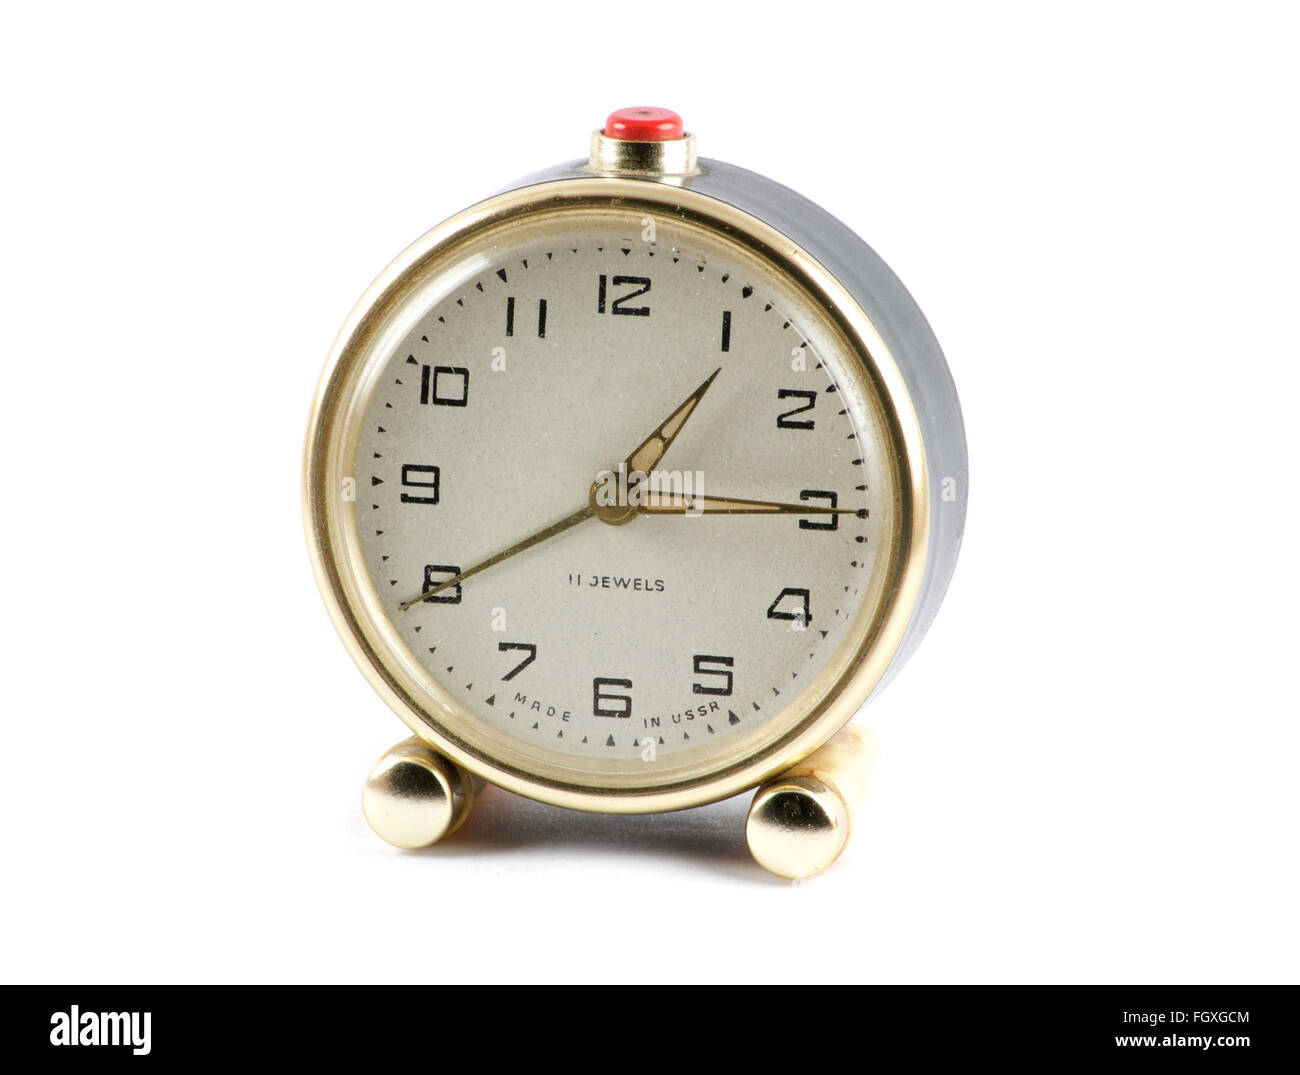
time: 1:14
